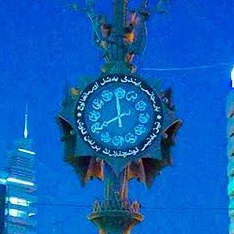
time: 7:58
